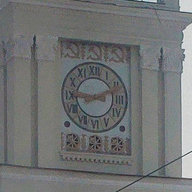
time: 9:11
